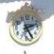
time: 2:24
